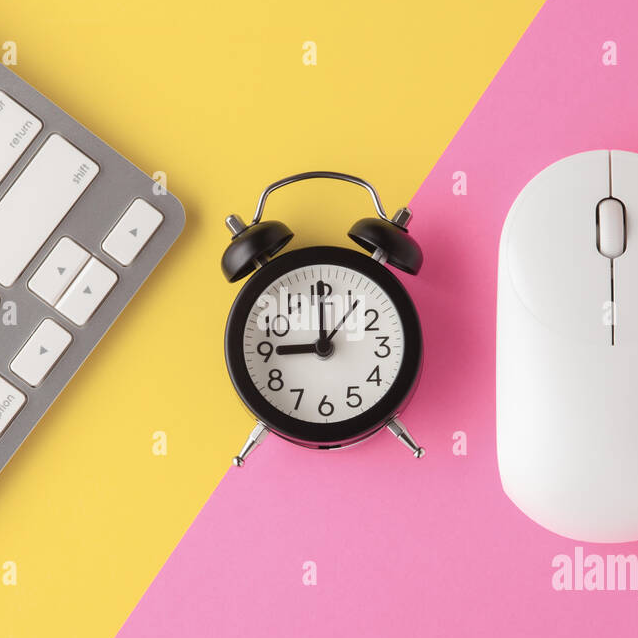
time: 9:00
